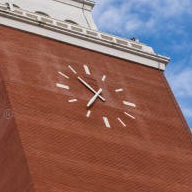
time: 10:36
